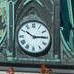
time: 10:14
